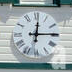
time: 12:14
